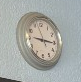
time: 9:15
